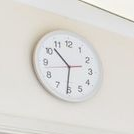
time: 10:30
